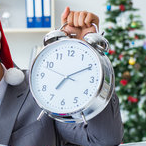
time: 7:10
